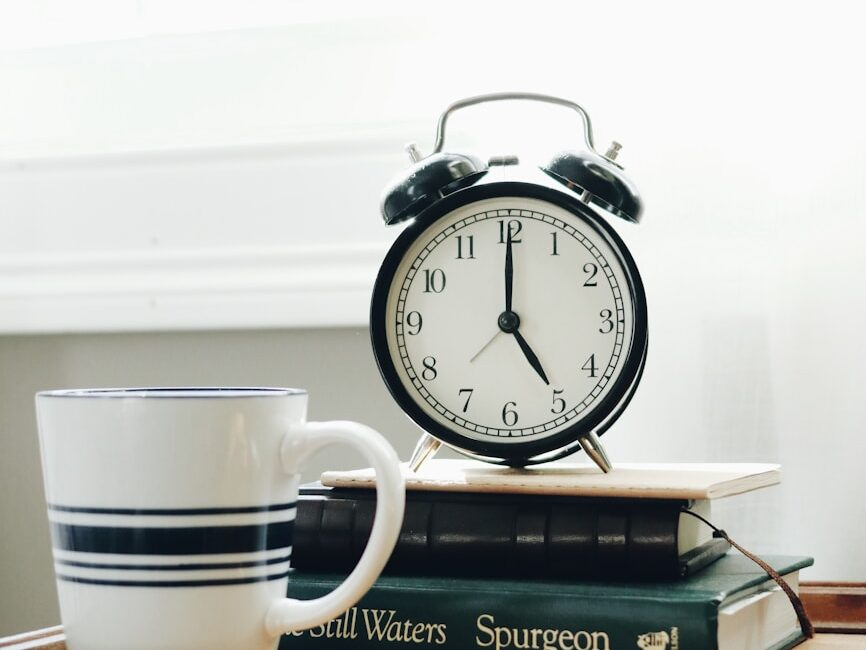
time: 5:00
